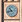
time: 10:42
